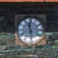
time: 11:28
